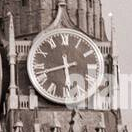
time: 5:42
